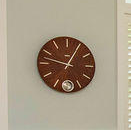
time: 12:47
